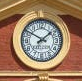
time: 1:50
